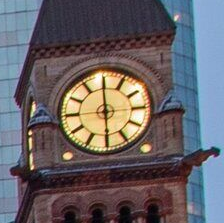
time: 5:59
